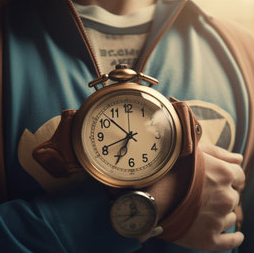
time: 6:52
